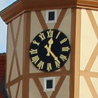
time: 12:23
